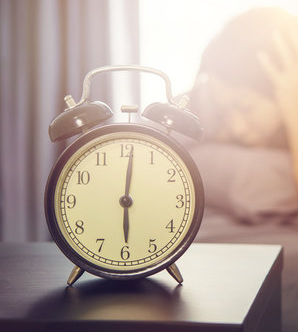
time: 6:01
